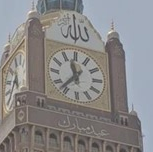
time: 11:36
